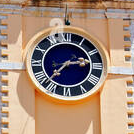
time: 2:37
